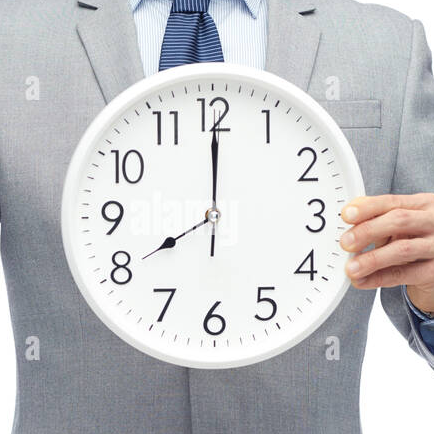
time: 7:59
